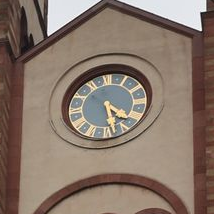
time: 4:27
